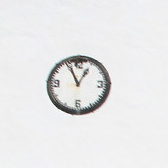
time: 12:55
